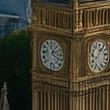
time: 1:18
